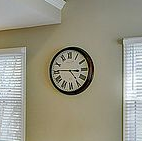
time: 4:45
